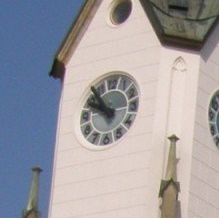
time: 9:52
